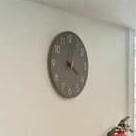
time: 4:02
